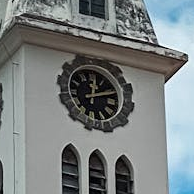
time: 12:11
